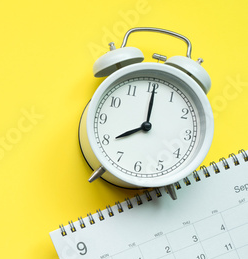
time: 8:00
